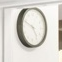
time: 4:49
